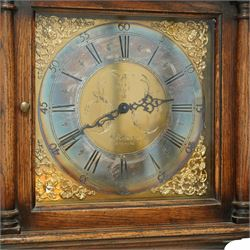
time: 2:40
